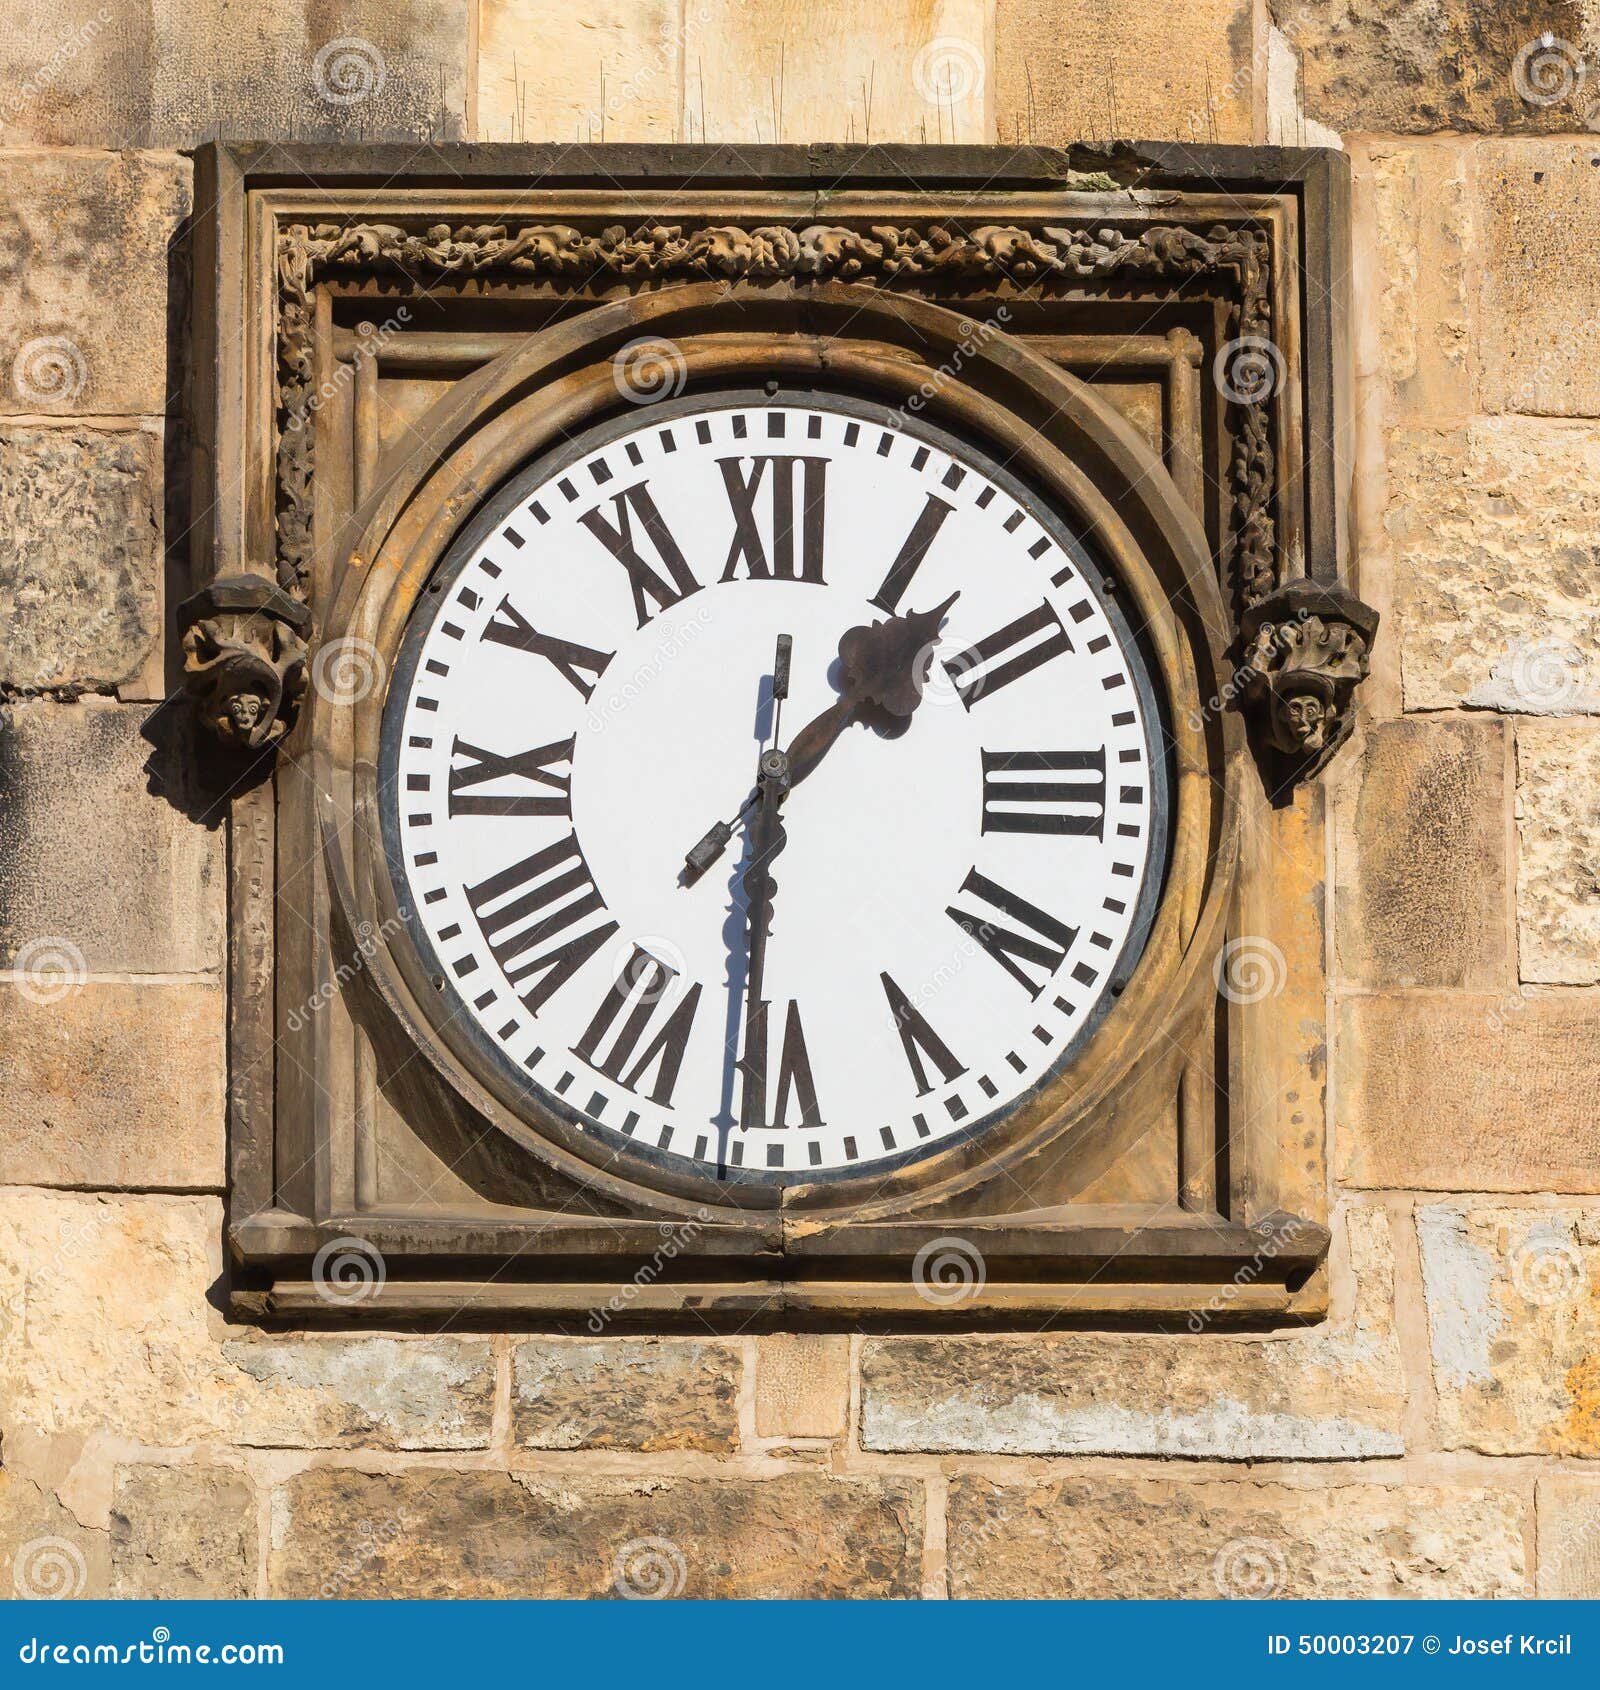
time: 1:31
